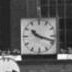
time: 10:18
